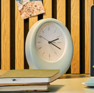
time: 2:19
